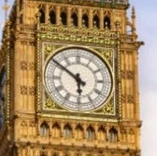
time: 5:50
